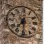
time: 7:30
